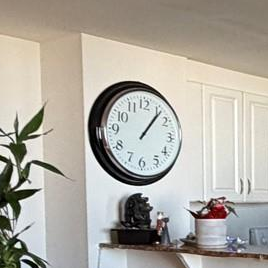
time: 1:06
